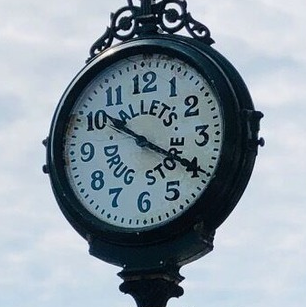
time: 10:19
